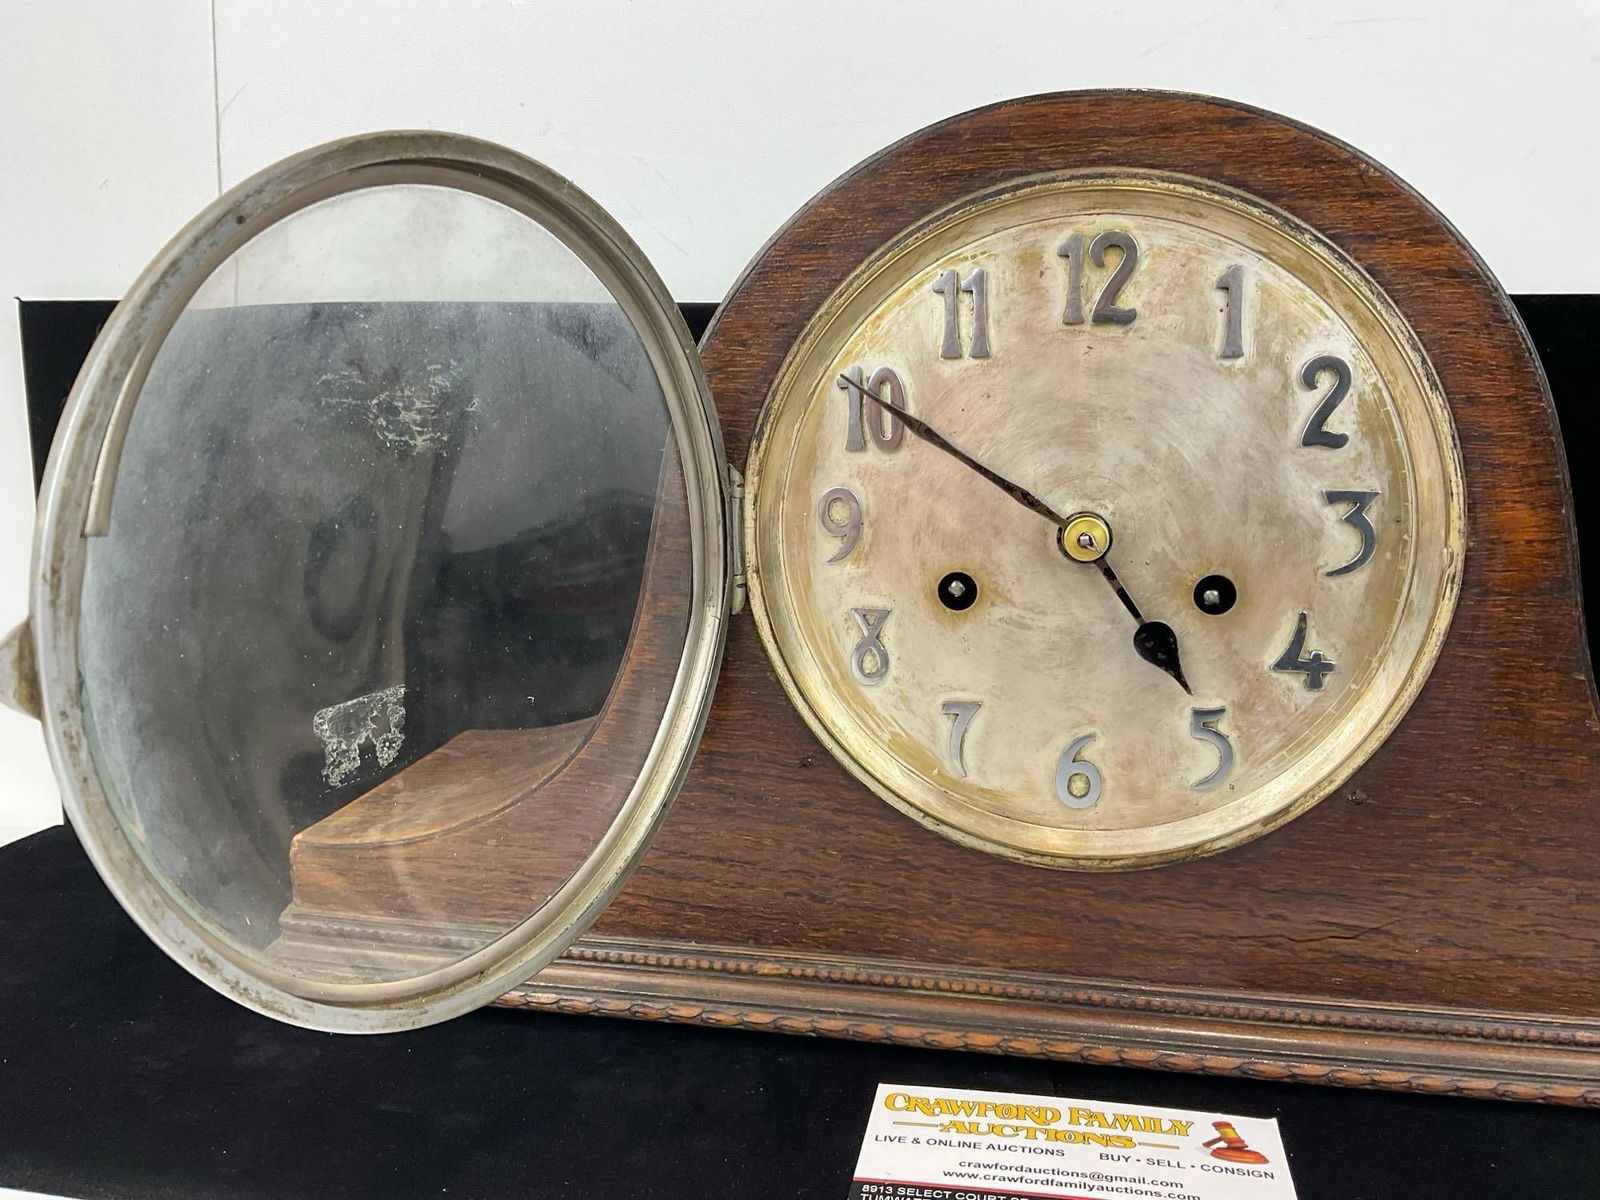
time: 4:50
